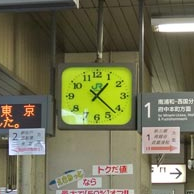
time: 1:22
